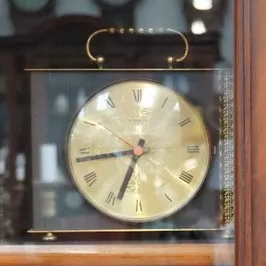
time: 6:43
